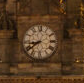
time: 8:39
